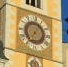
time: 7:06
